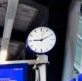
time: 9:10
